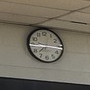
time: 7:15
